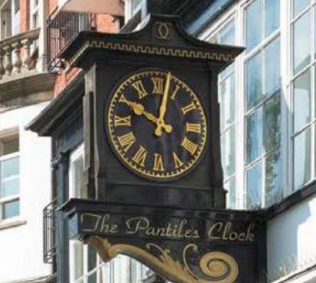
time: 10:02
